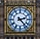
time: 2:23
